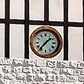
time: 1:36
